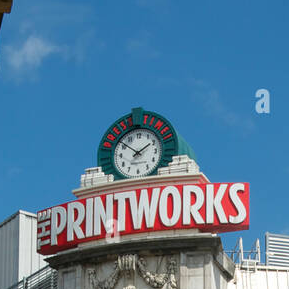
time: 1:51
